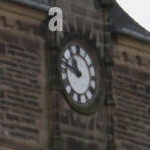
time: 10:47
